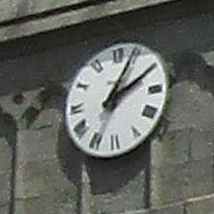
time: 2:04
